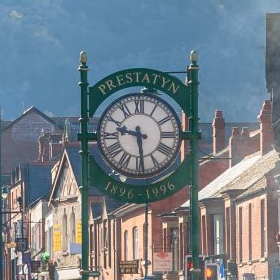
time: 9:28
